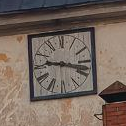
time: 9:17
